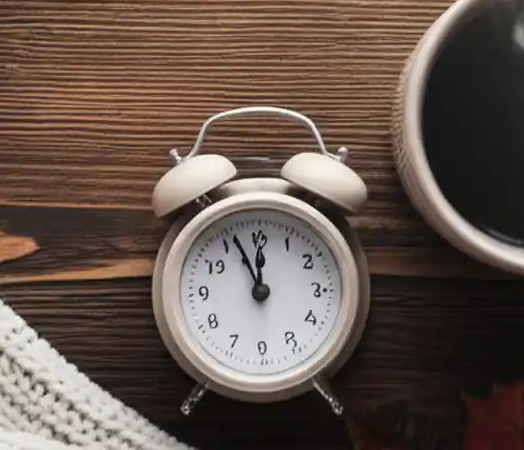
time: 11:55
